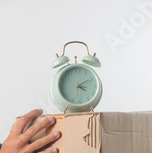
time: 4:10
